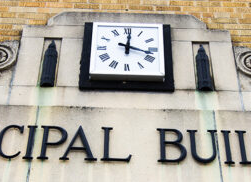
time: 12:17
